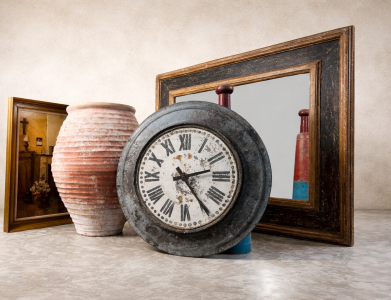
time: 2:23
